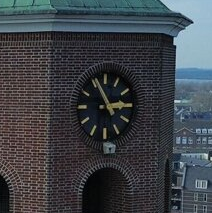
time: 2:56
